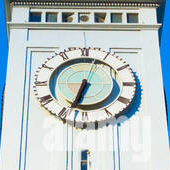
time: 6:33
